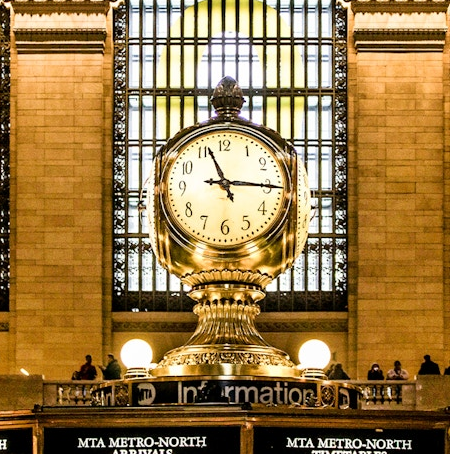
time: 11:15
